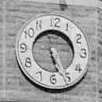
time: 5:26
